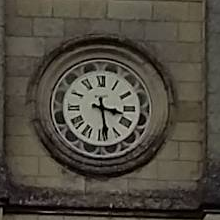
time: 3:28
